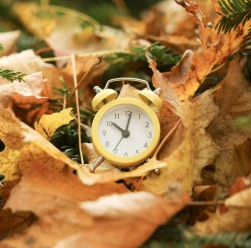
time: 10:01
